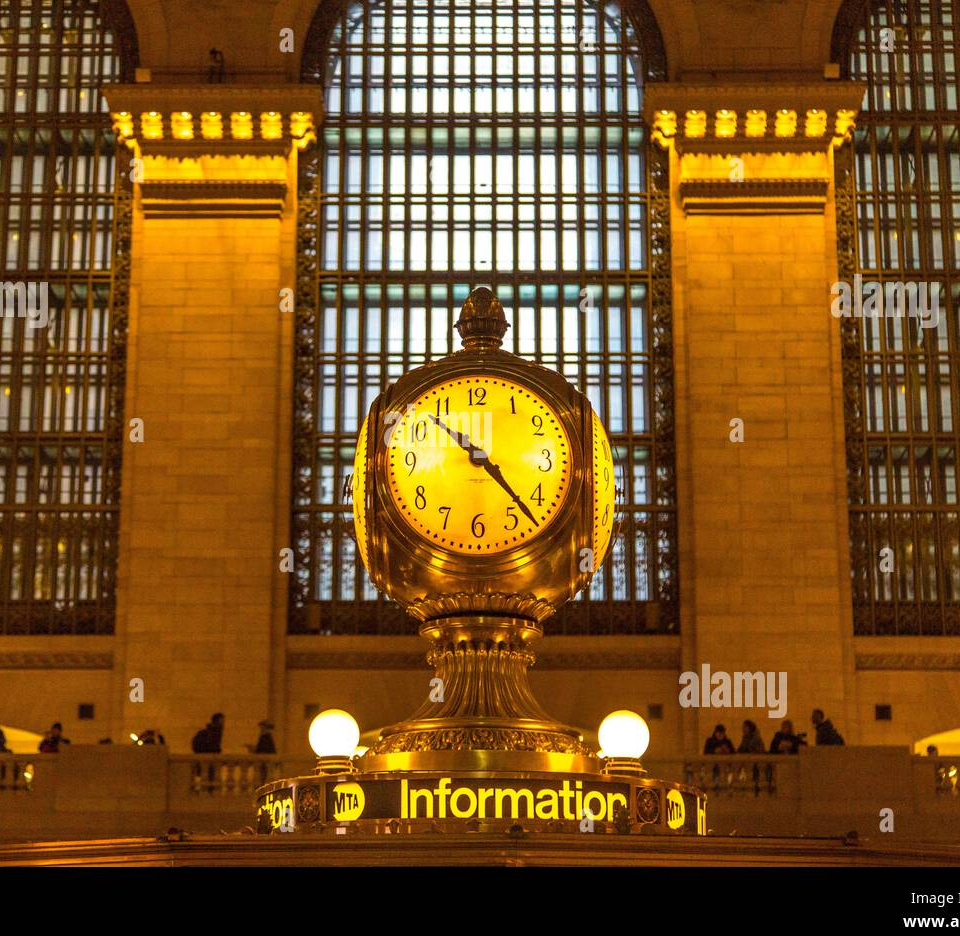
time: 10:22
